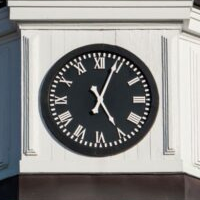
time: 5:03
